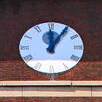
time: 12:05
